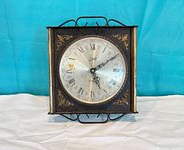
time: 5:09
